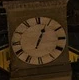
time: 1:03
